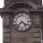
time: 4:36
